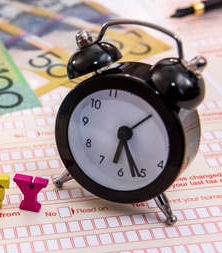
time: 6:26
